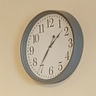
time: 1:36
